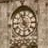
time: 11:23
